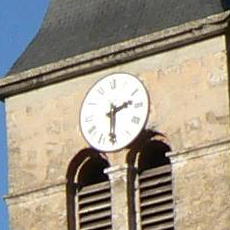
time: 2:30
